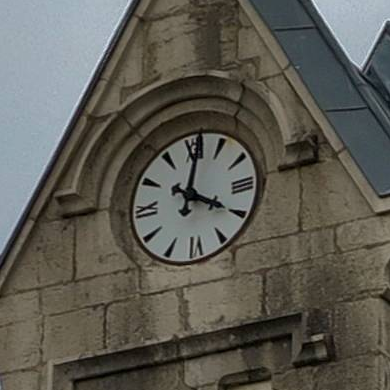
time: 4:01
